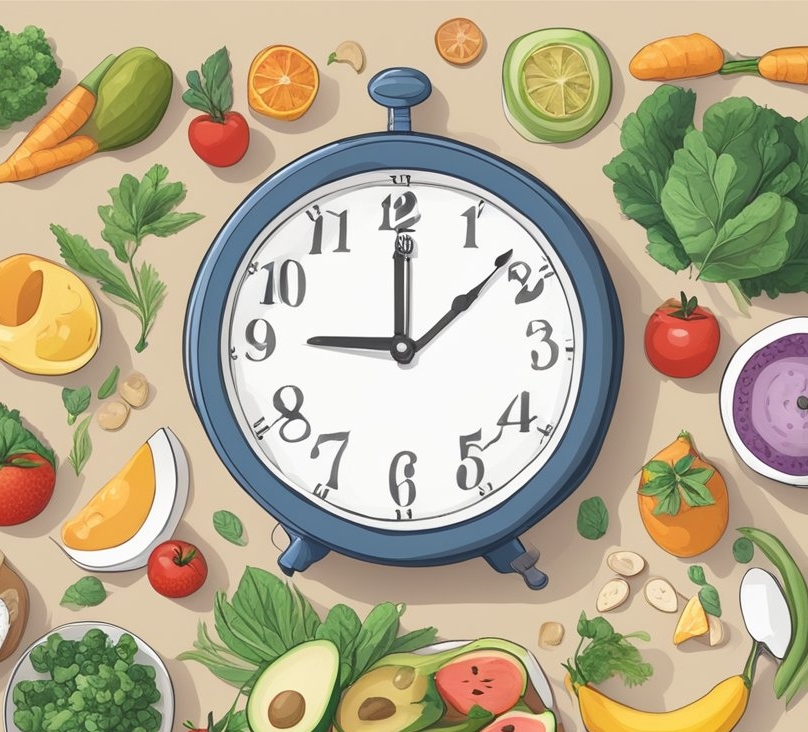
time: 9:07
